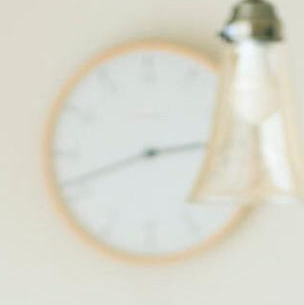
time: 2:41
